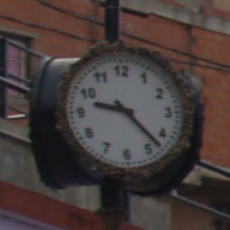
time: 9:22
